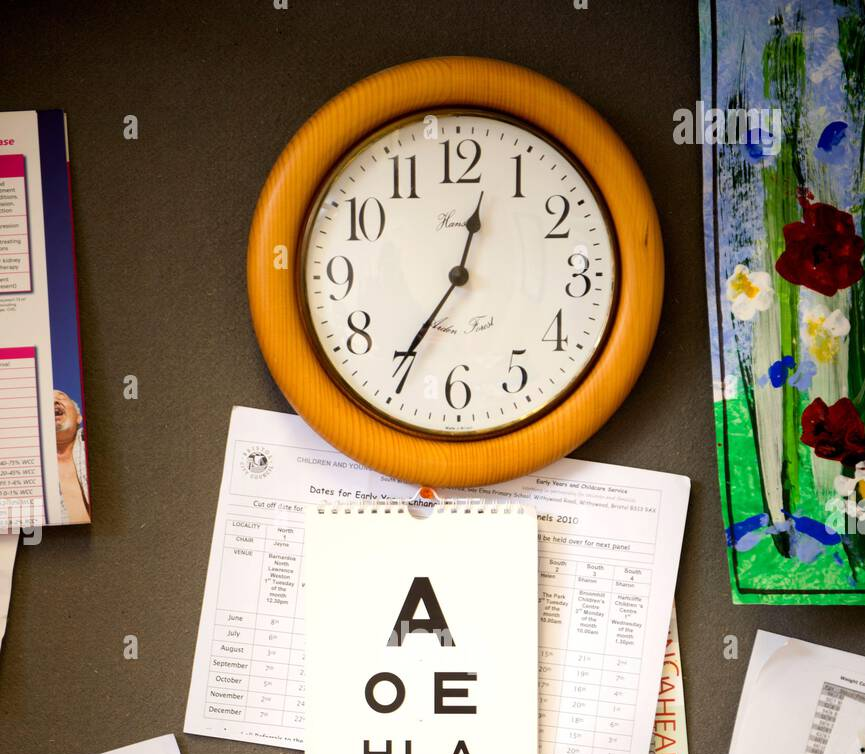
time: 12:35
